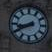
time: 8:40
